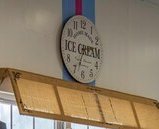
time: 2:33
